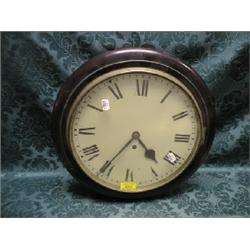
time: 4:35
